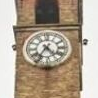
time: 4:35
